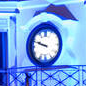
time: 9:48
